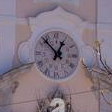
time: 12:52
